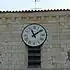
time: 11:08
